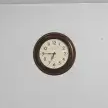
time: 6:45
